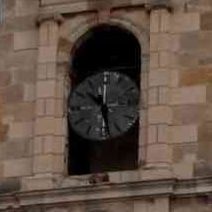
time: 10:28
